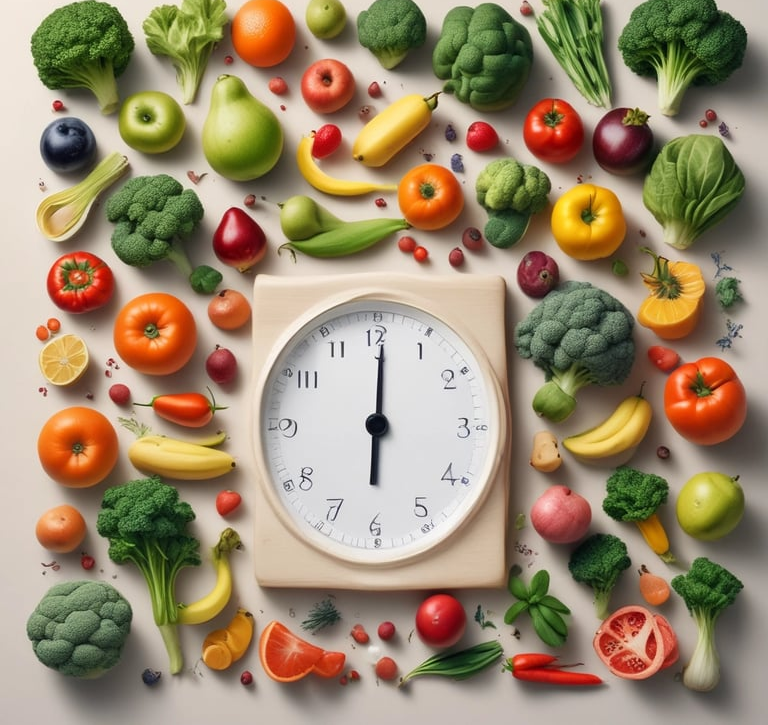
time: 6:00
